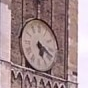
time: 5:18
